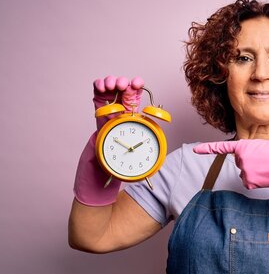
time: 1:49
